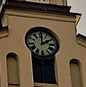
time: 2:00
